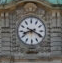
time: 8:19
